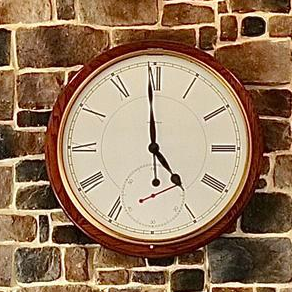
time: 4:59
